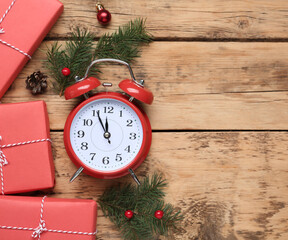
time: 11:55
